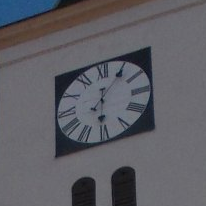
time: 6:05
